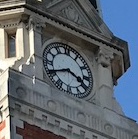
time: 3:40
